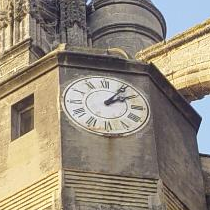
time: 2:06
